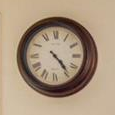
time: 4:23
